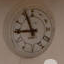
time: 8:56
